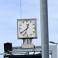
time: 12:38
